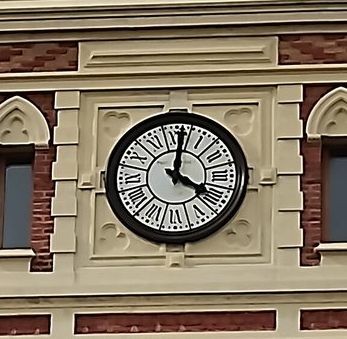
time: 4:01
